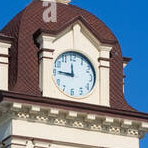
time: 11:45
